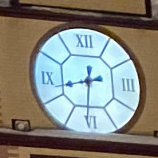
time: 8:30
